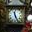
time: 11:25
